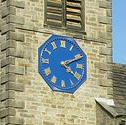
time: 4:11
